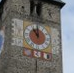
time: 11:00
